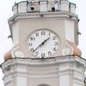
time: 1:37
